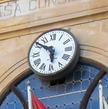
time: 5:51
